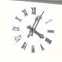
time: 4:04
